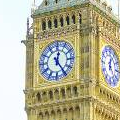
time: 12:24
